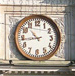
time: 10:43
